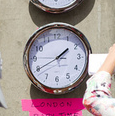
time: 1:40
